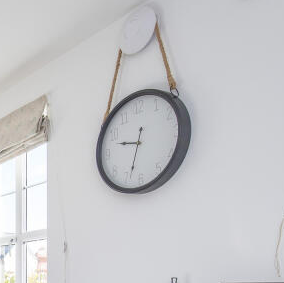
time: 9:33
